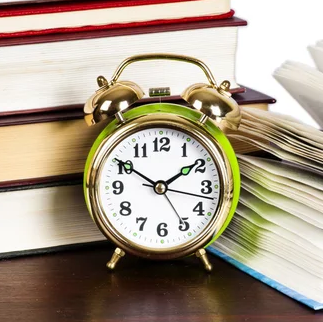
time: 1:50
